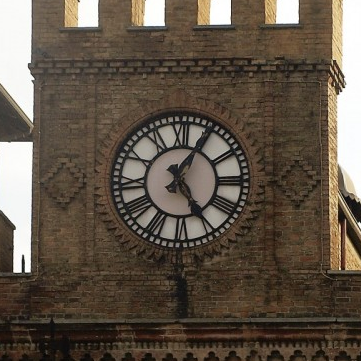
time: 5:05
